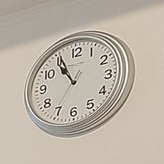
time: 10:55
